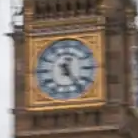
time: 12:24
